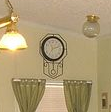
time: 11:12
